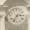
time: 2:36
